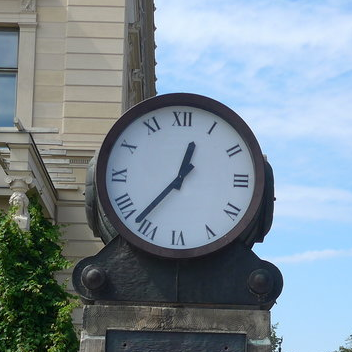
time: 12:36
